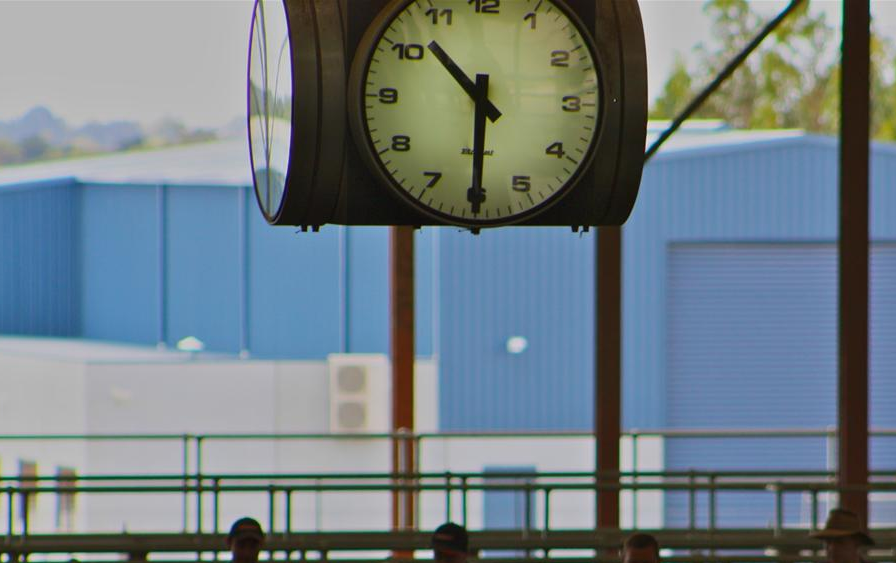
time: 10:30
